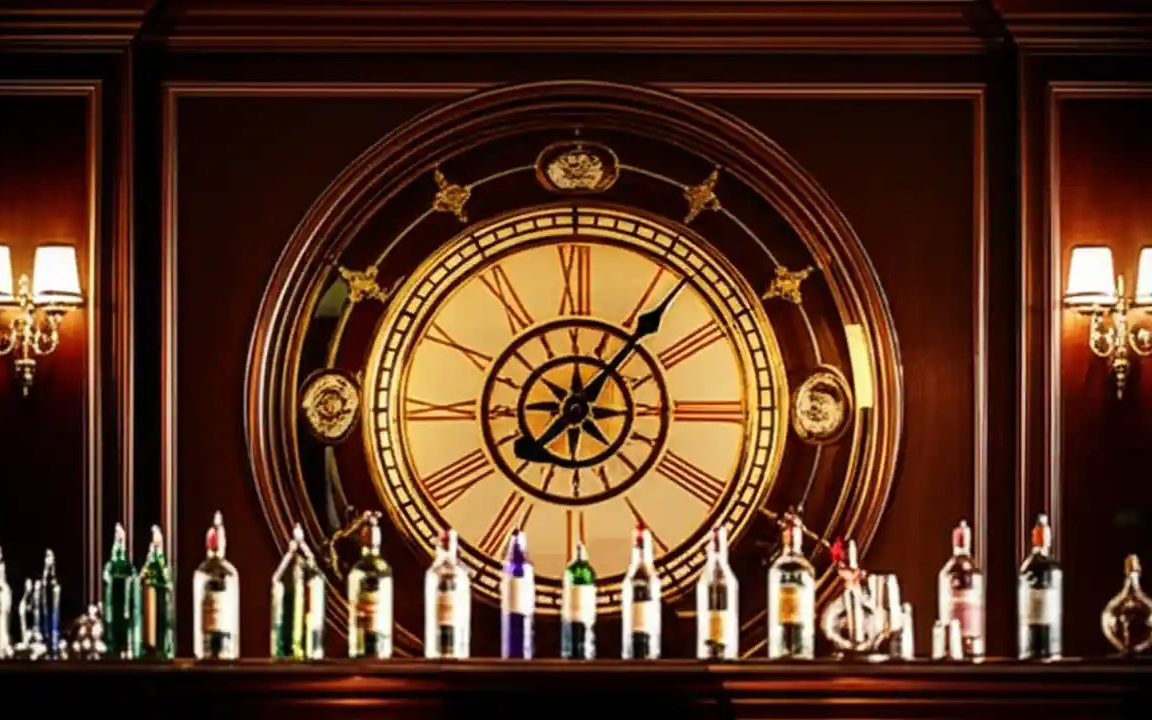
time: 1:06
